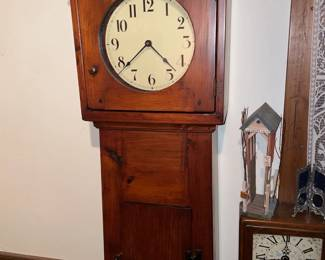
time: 4:38
